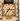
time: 7:15
